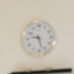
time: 9:27
